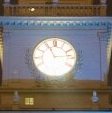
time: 11:13
